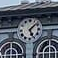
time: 5:07
